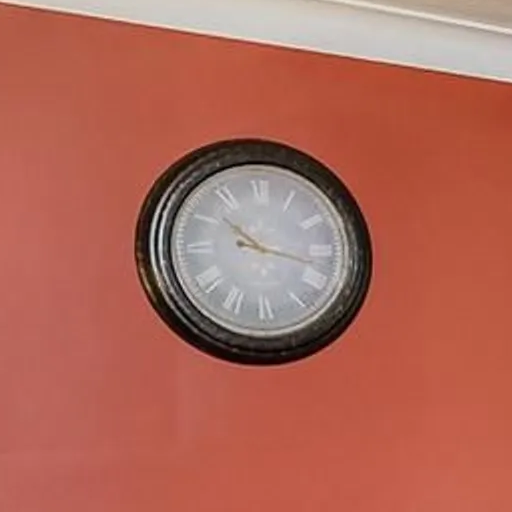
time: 10:17
